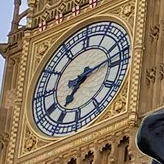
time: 7:12
